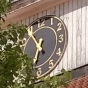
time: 6:54
